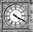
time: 4:20
